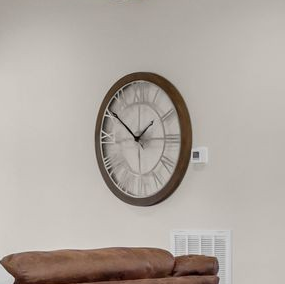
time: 1:50
